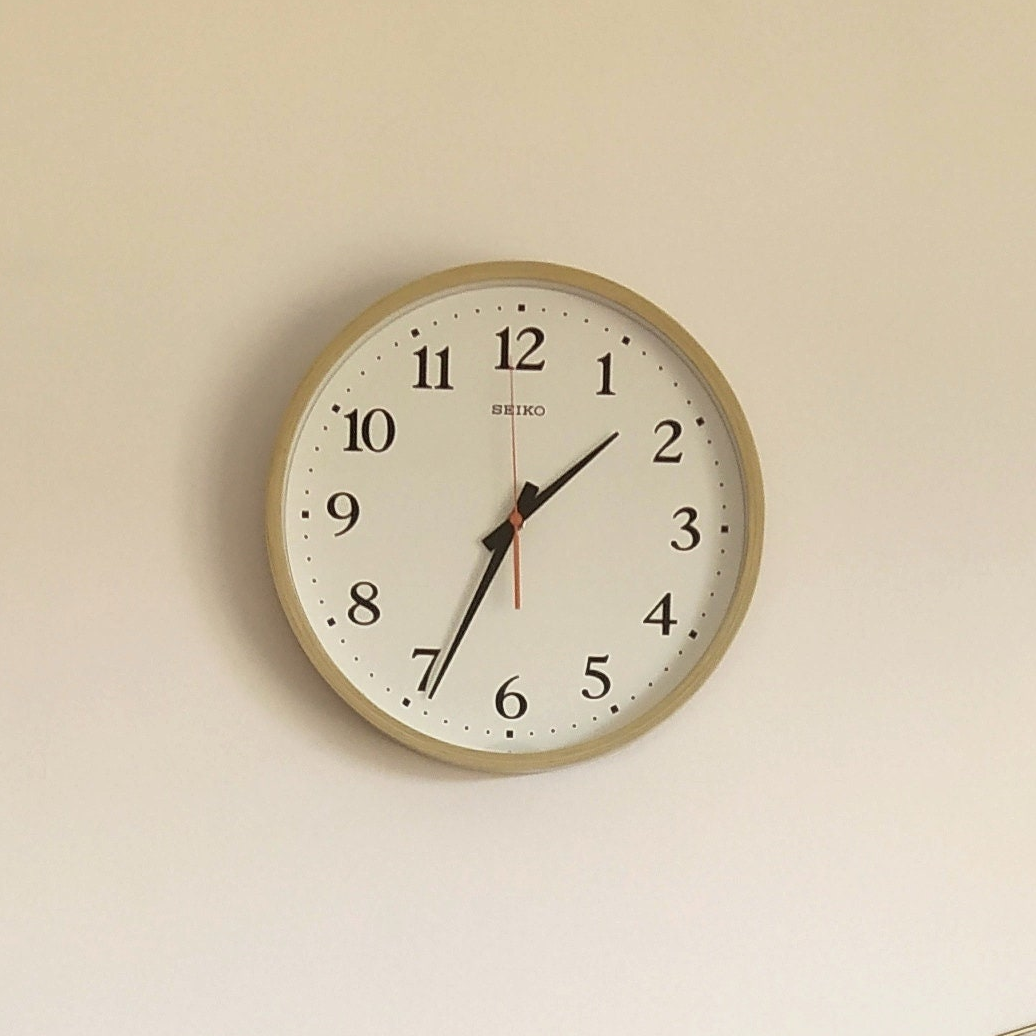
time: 1:34
